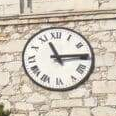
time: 11:14
